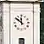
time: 11:51
